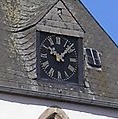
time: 10:07
